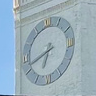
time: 6:41
